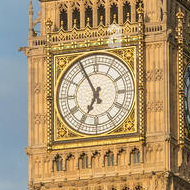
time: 6:55
